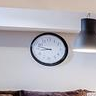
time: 8:47
